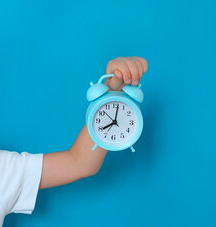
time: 8:01
